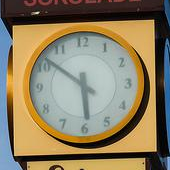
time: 5:51
